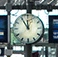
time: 11:54
